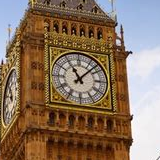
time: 11:07
